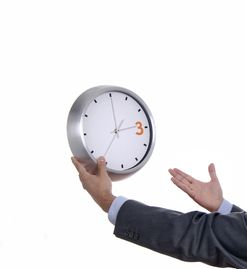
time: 2:36
